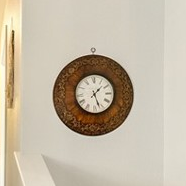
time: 1:26
